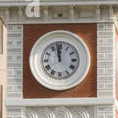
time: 11:58
